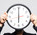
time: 5:59
